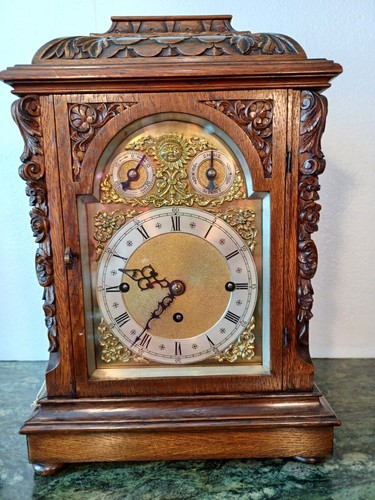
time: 8:36
